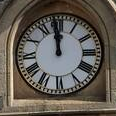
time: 11:58
